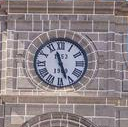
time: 11:26
